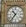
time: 10:36
